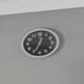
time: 12:33
